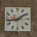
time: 1:43
